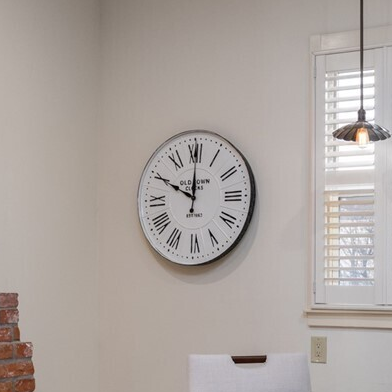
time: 10:00
